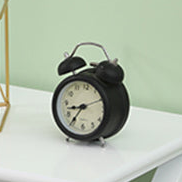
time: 8:35
